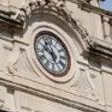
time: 5:49
